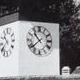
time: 10:38
